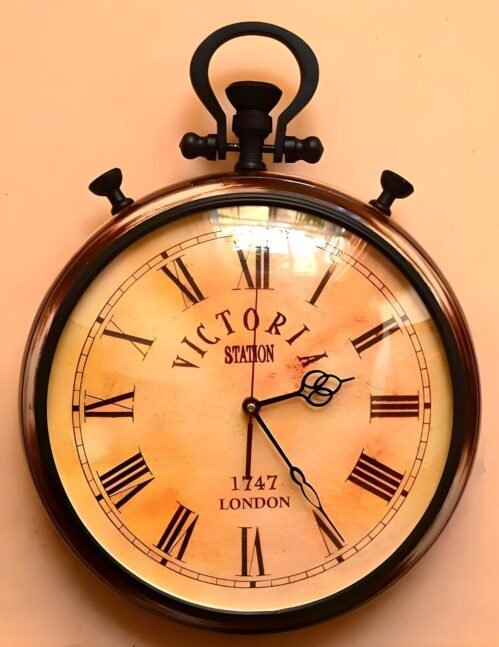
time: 2:24
